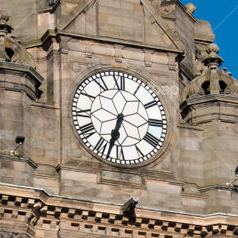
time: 6:32
